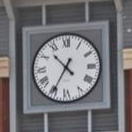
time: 10:34
